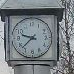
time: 9:37
